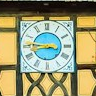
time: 8:46
